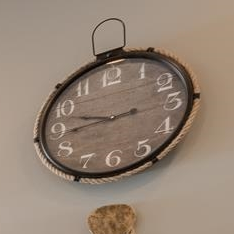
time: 9:44
